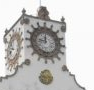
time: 9:01
